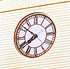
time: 7:51
